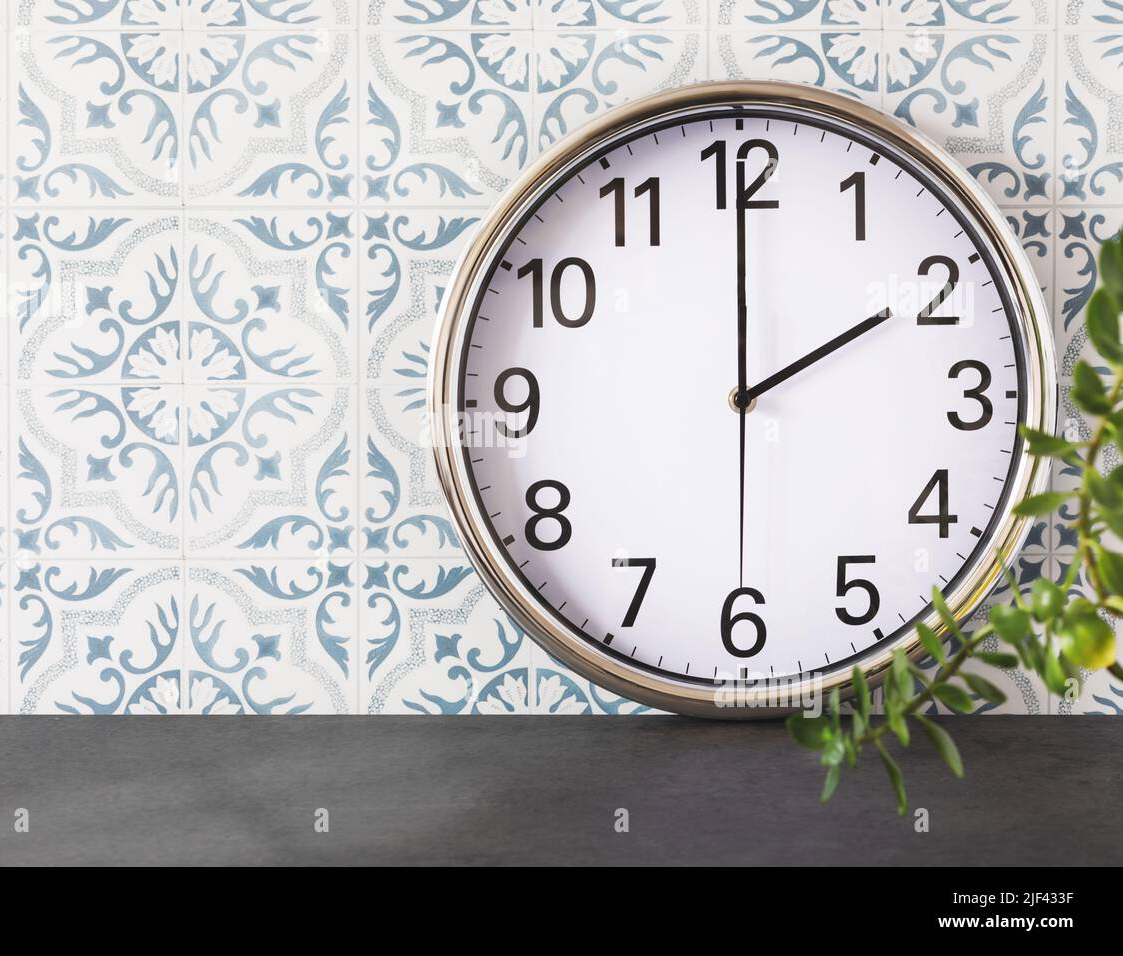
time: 2:00
